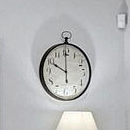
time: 9:59
